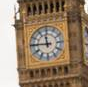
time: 11:45
